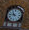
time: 10:45
